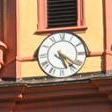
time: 5:21
